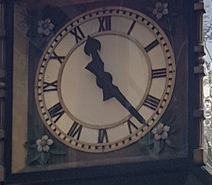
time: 11:23
